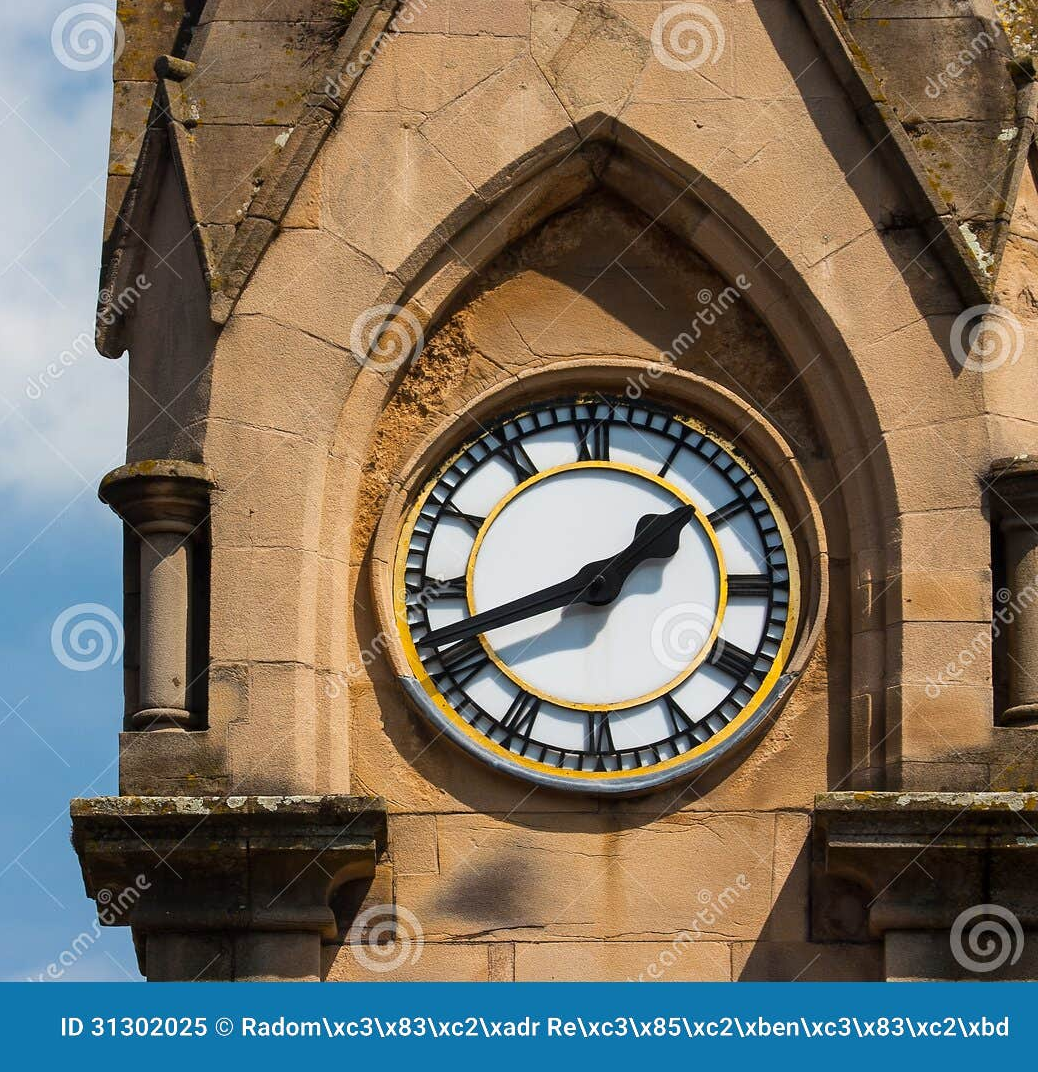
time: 1:41
